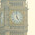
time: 4:59
